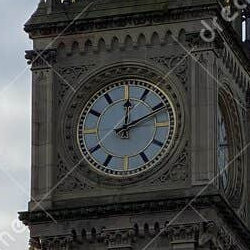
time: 12:10
